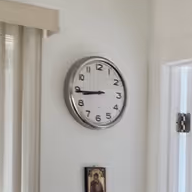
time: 8:44
